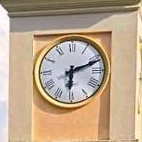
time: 6:11
